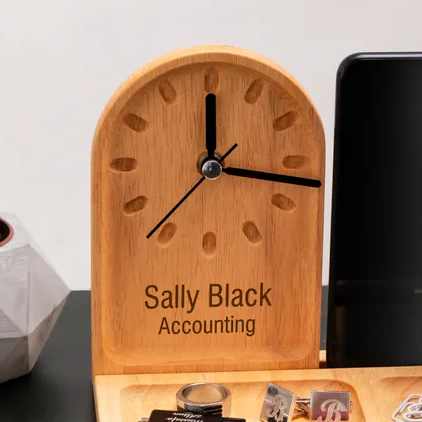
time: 12:16
